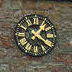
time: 1:20
